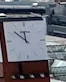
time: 11:52
